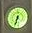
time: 6:32
